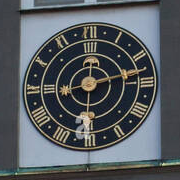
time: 8:12
